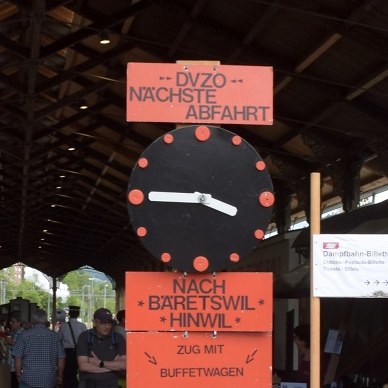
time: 3:45
